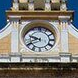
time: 9:41
